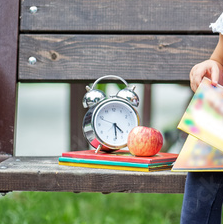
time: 4:29
